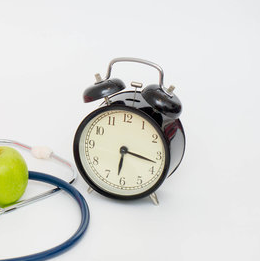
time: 6:17
